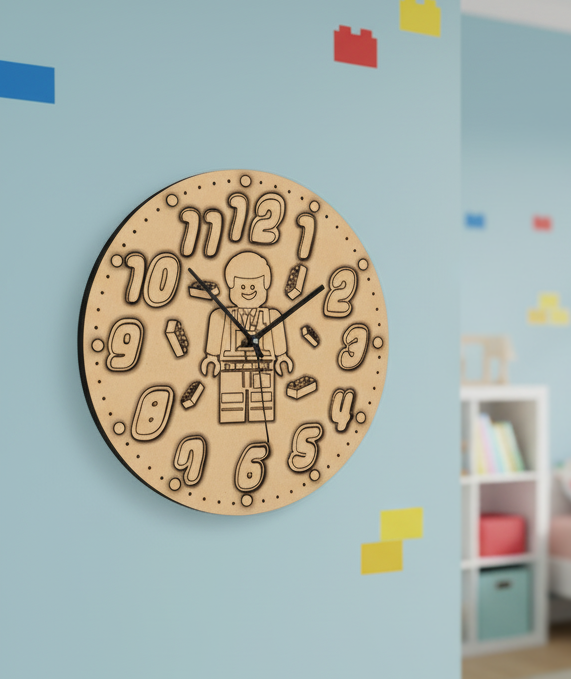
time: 1:52
